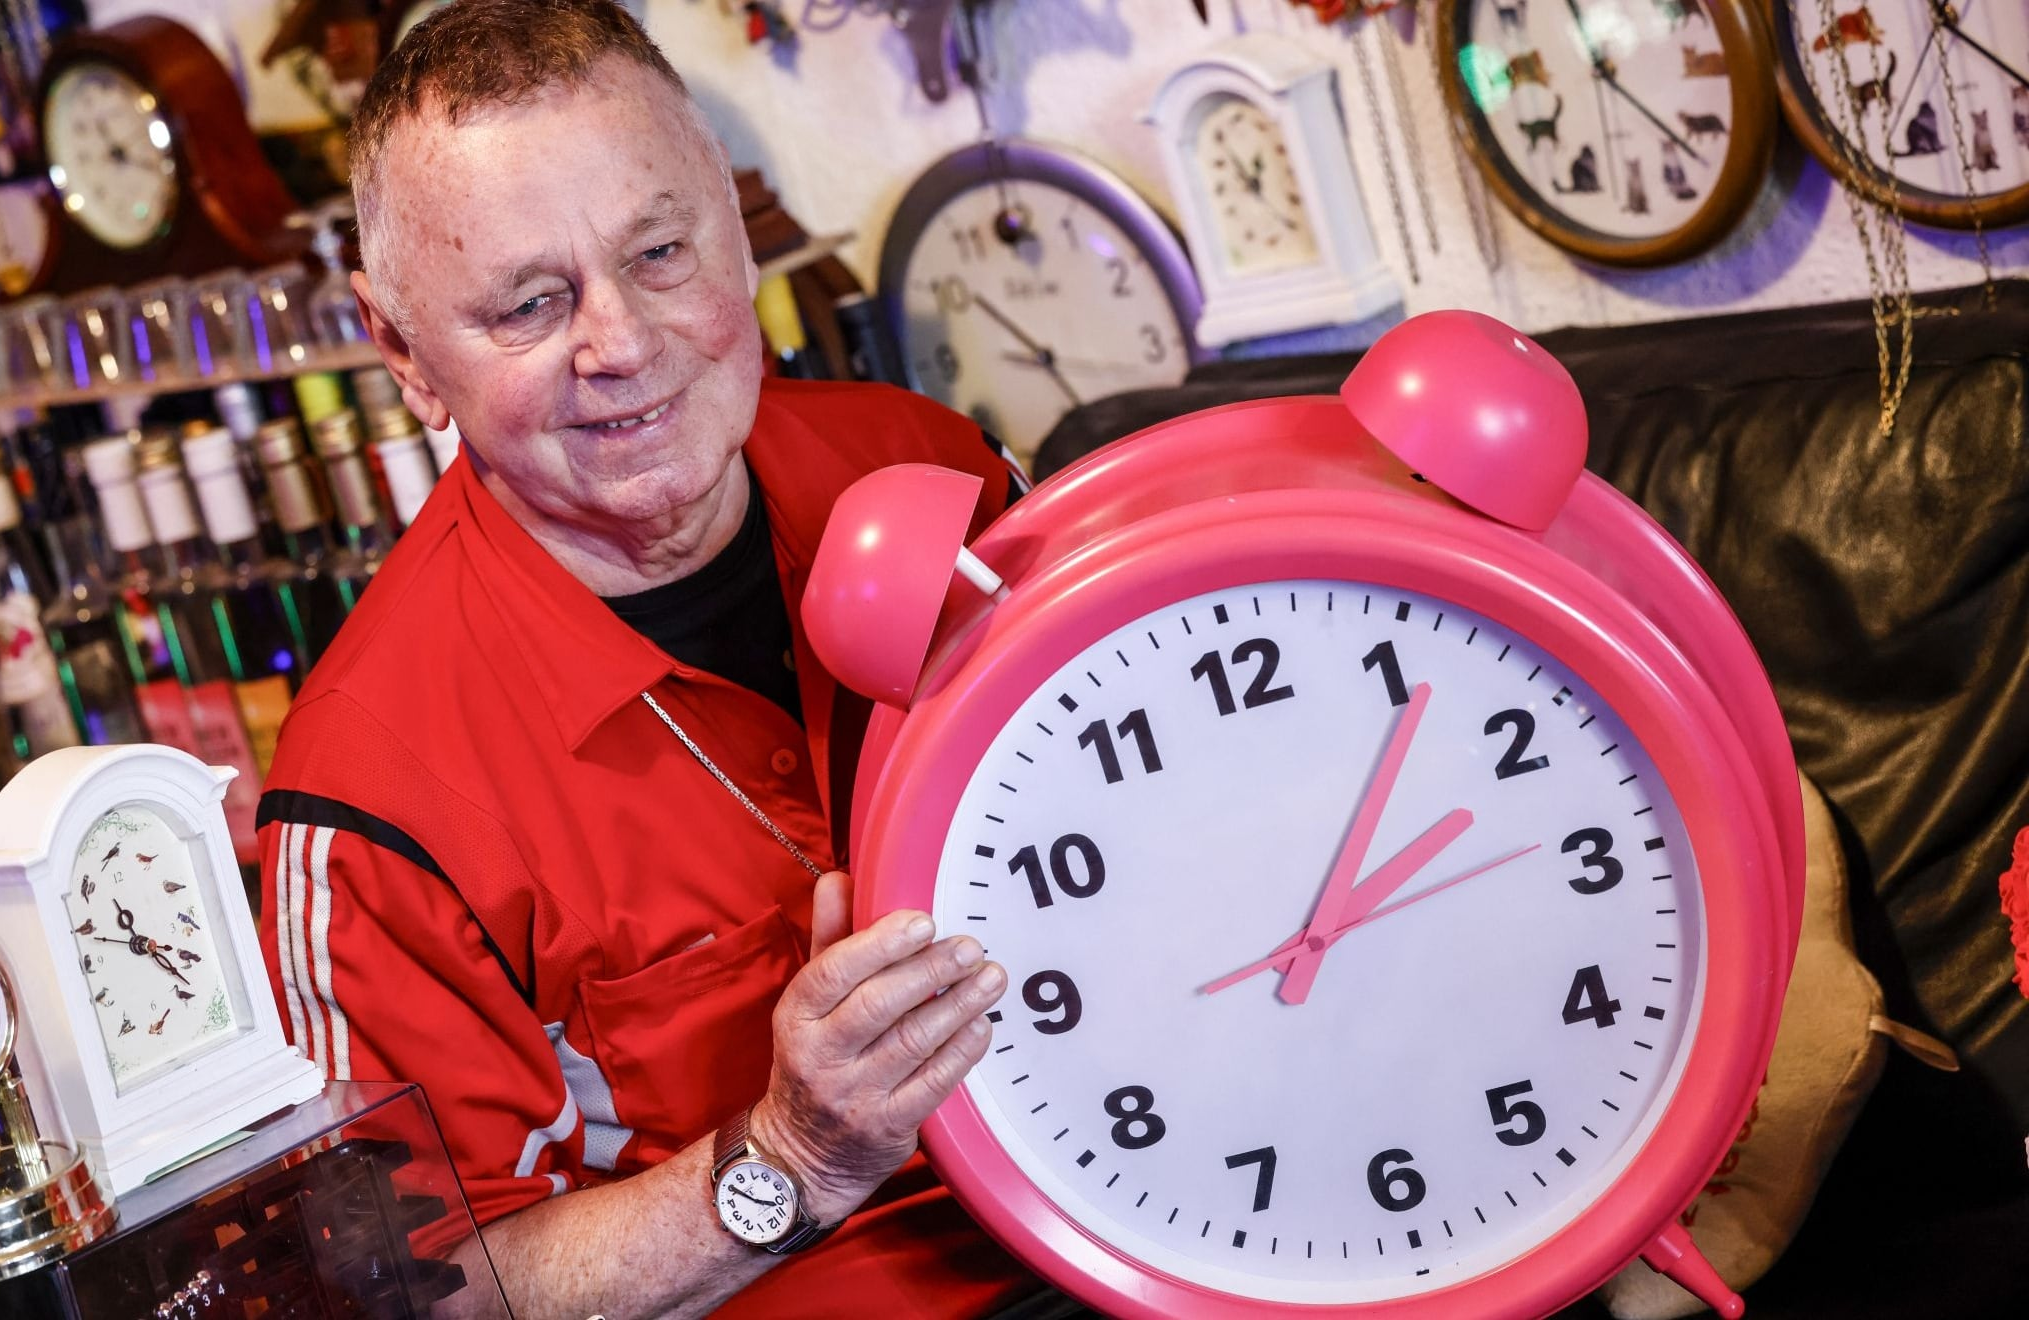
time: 2:06
